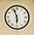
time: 5:57
